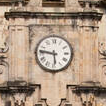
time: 5:46
